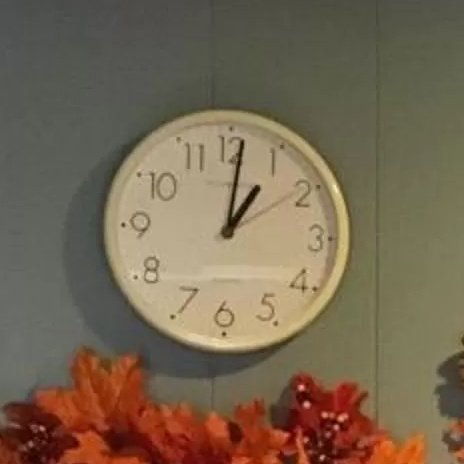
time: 1:01
